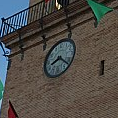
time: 8:21
